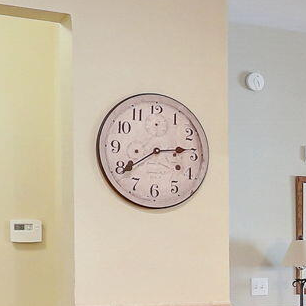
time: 2:39
